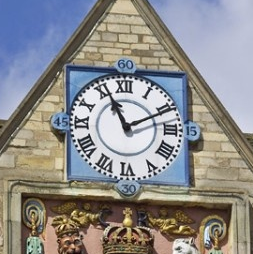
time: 11:10
